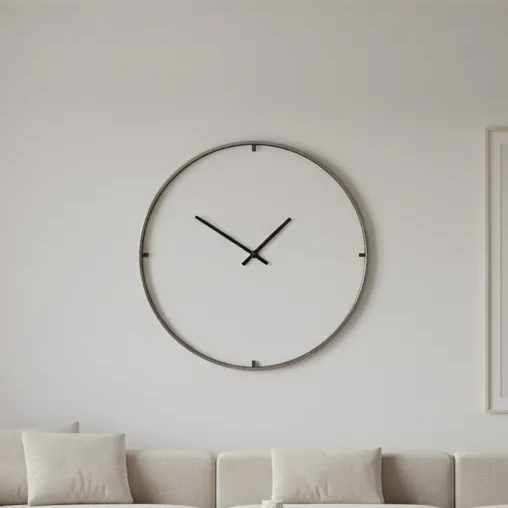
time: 1:50
